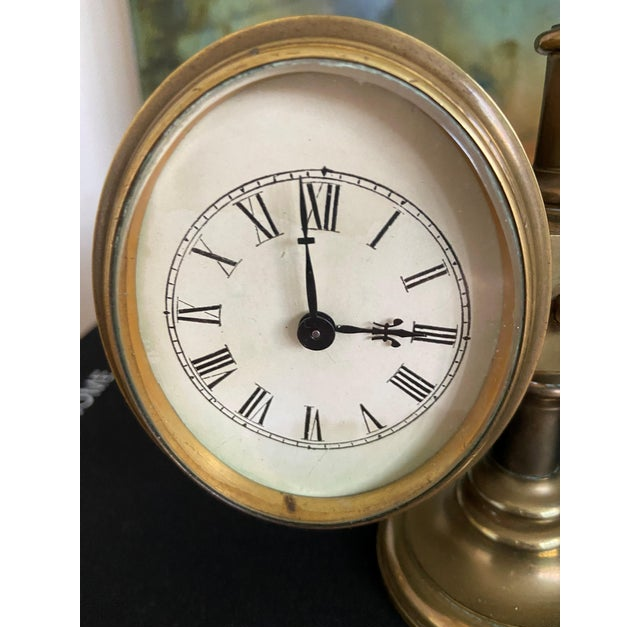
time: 2:58
